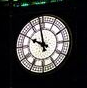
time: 9:57
